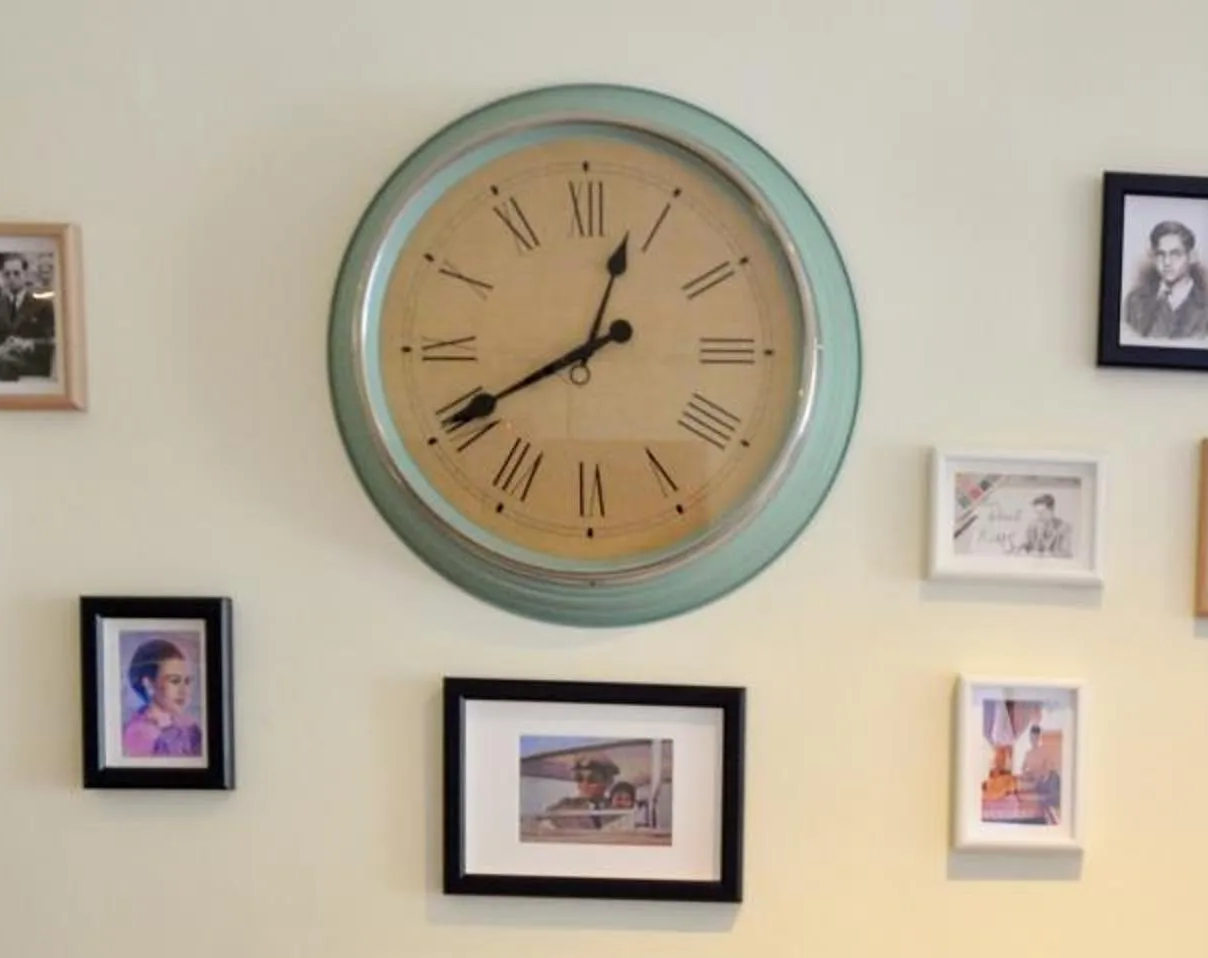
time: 12:40
